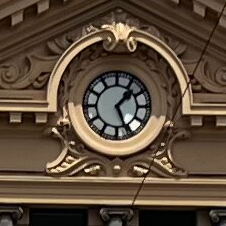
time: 1:26
